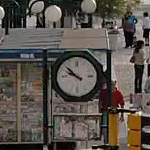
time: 9:52
